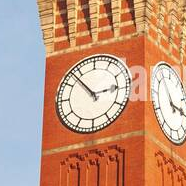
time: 2:53
